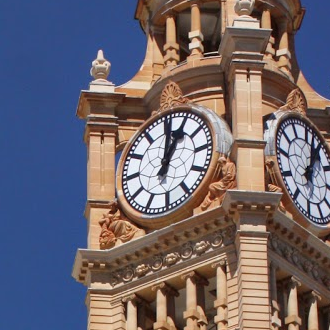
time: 1:01
